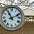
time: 11:10
